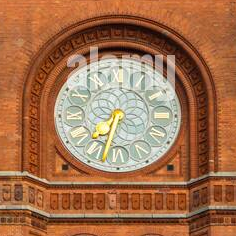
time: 7:32
